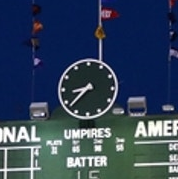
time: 8:37
